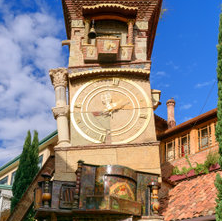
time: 8:09
